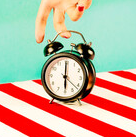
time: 6:00
